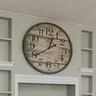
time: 12:39
